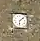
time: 6:08
